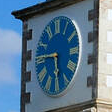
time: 5:45
